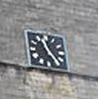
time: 11:24
